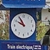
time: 9:54
